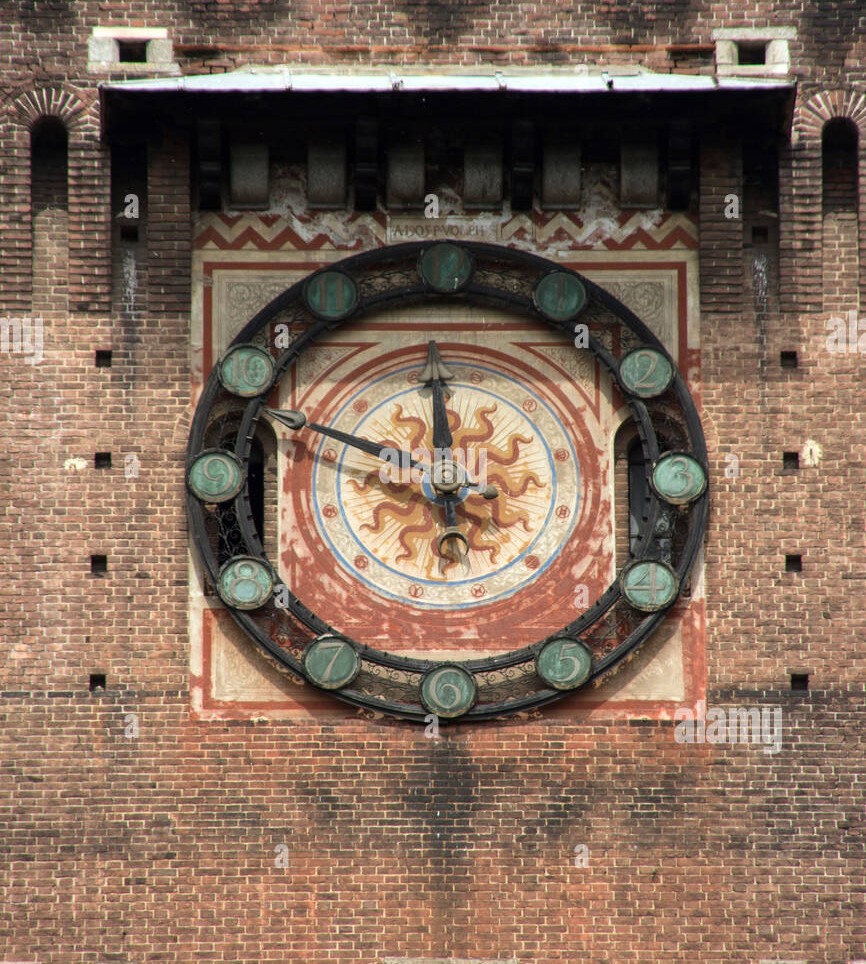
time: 11:48
